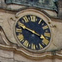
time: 3:48
